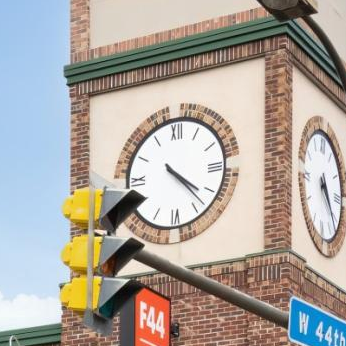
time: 4:20
